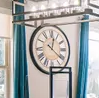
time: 12:21
